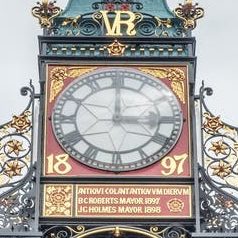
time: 3:00
